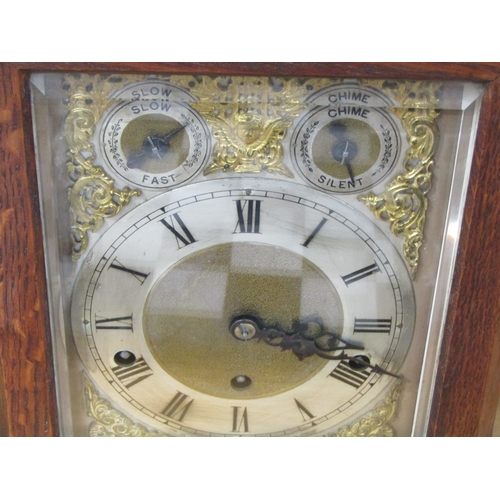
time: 3:18
